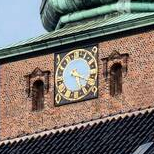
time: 5:18
